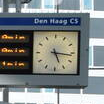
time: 5:16
